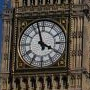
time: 3:57
